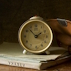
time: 1:52
